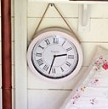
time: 2:32
